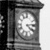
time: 4:13
